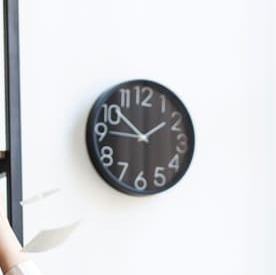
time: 11:51
